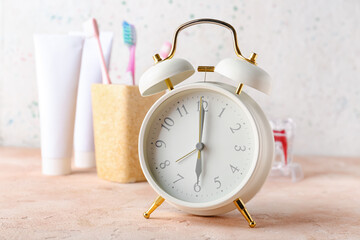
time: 5:59
